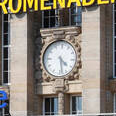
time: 4:28
